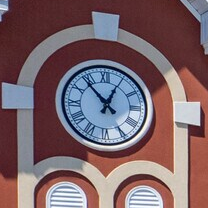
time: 12:53
